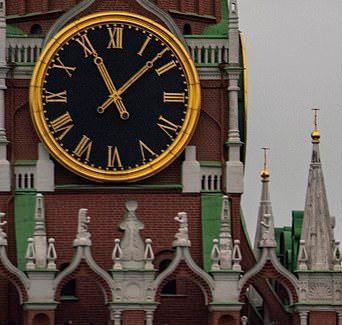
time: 11:07
